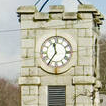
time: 11:35
